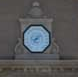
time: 8:36
